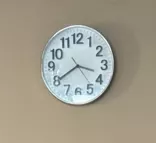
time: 3:39
